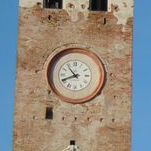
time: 10:41
